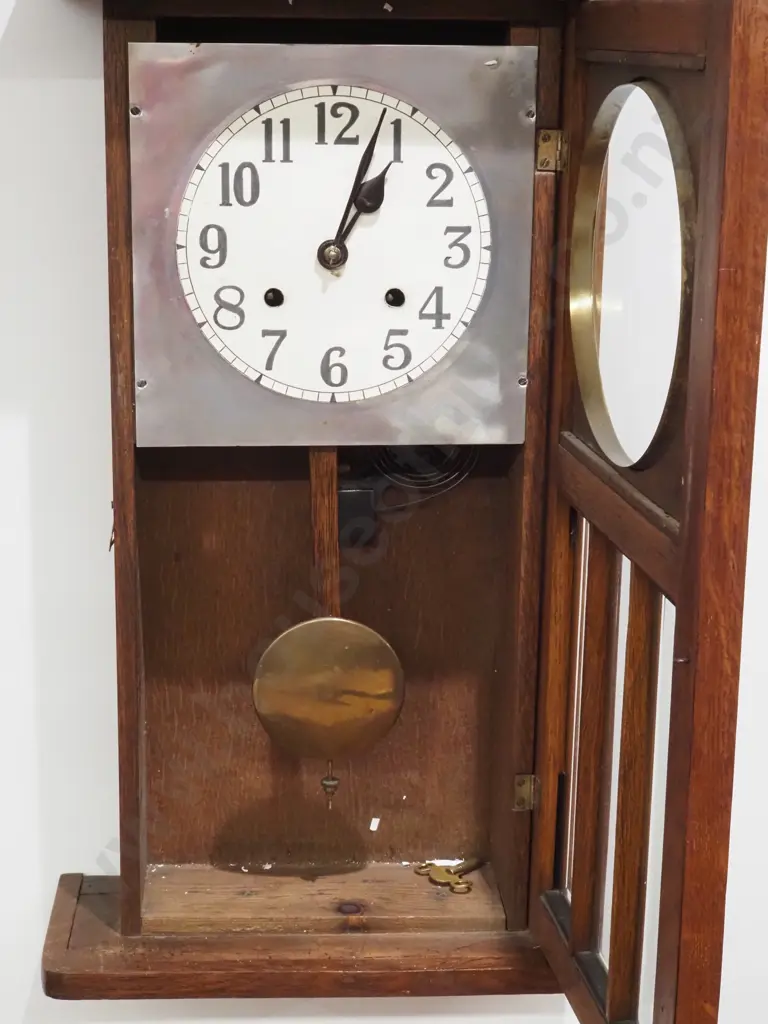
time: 1:03
